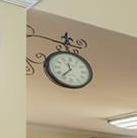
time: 11:36
